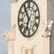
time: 6:54
